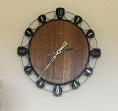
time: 2:36
